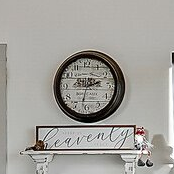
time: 2:32
